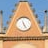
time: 11:25
